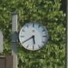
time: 5:40
